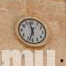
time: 11:32
